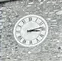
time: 3:13
